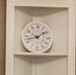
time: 1:42
